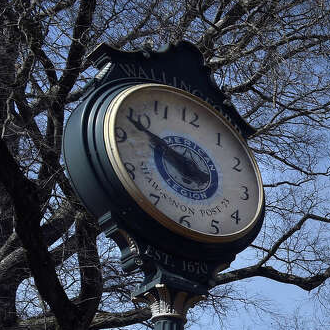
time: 9:48
